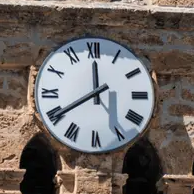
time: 11:39
